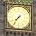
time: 7:36
